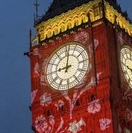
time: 9:01
